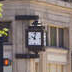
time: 10:02
